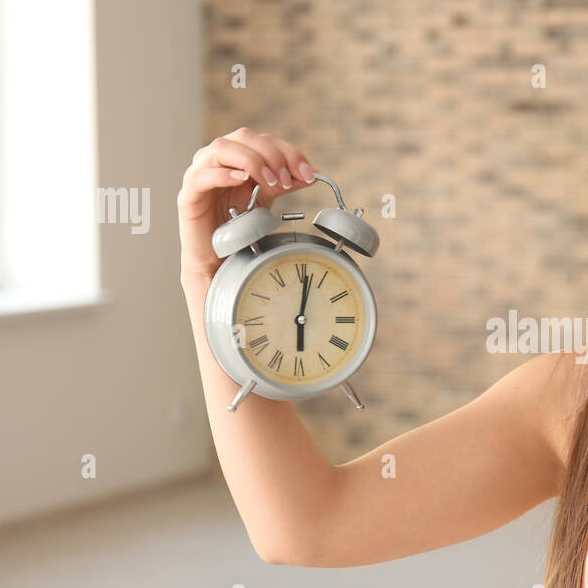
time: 6:01
